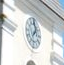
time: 6:58
